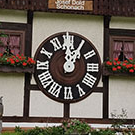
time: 12:05
